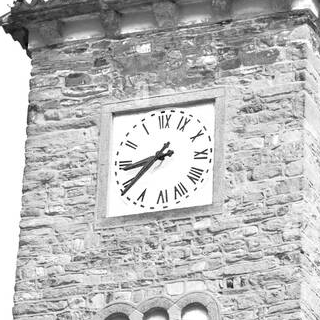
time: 8:38
